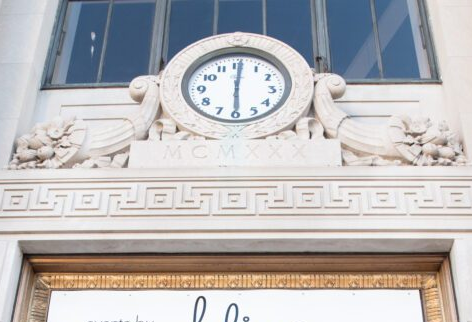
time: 6:00
